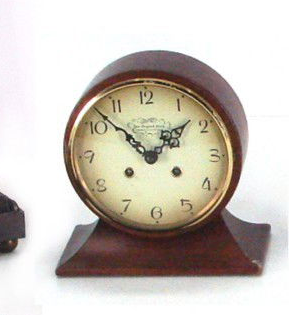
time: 1:52
